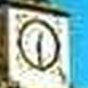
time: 12:28
